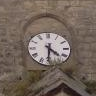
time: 4:31
